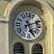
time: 5:11
